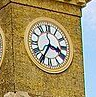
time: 3:34
